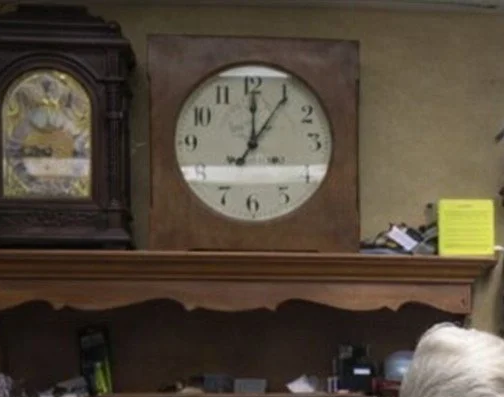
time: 12:05
